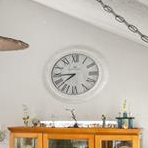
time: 7:44
